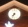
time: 7:34
